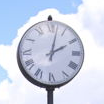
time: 2:02
